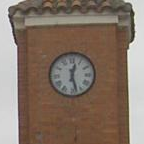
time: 12:27
